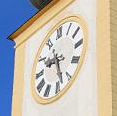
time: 9:28
